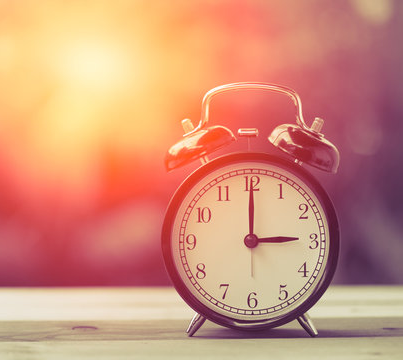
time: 3:00
